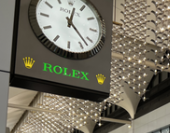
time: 12:22
